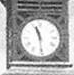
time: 11:28
